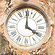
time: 4:00
